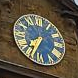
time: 7:34
